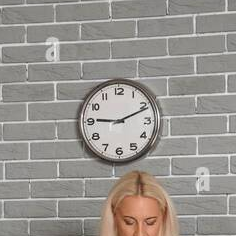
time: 9:11
